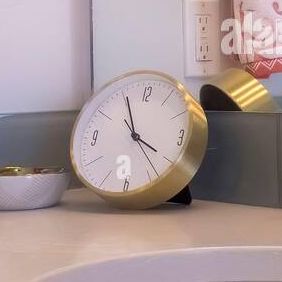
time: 3:56
